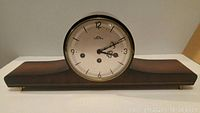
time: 3:10
